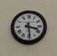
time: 3:28
